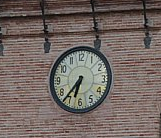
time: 6:36
